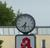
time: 7:32
